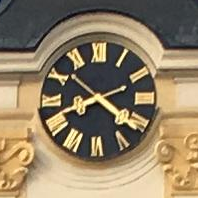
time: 8:20
